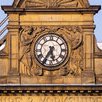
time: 5:35
